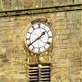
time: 1:39
